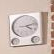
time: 4:12
